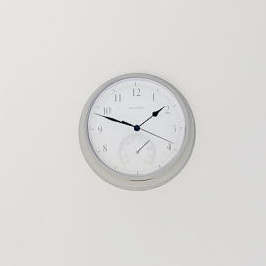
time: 1:48
